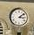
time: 3:08
